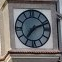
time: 7:11
